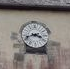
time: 3:41
